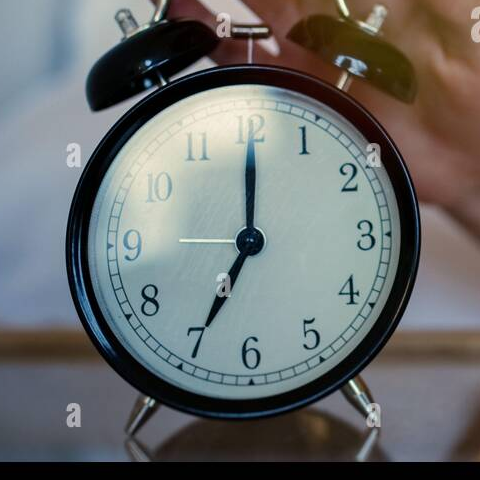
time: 7:00
